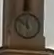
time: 11:52
